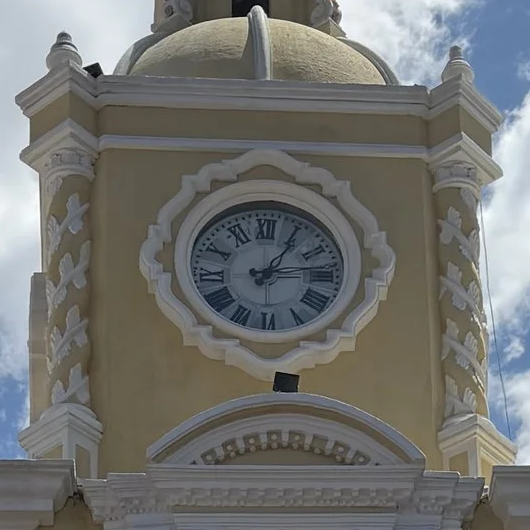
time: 1:13
